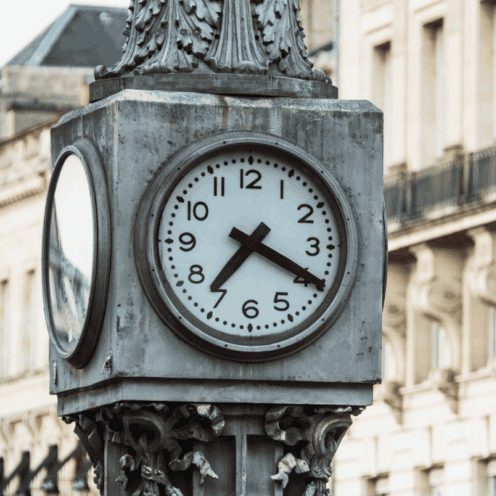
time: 7:19
